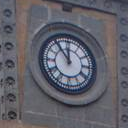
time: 11:54
